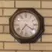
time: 7:20
